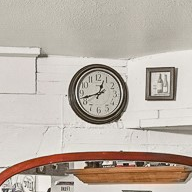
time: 12:42
